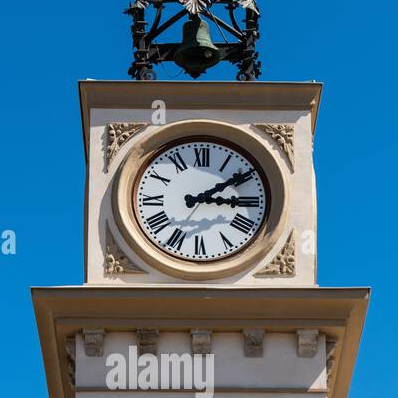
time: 3:09
